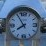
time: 7:54
